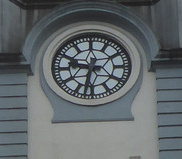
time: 9:32
